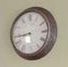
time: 8:43
